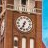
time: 6:34
